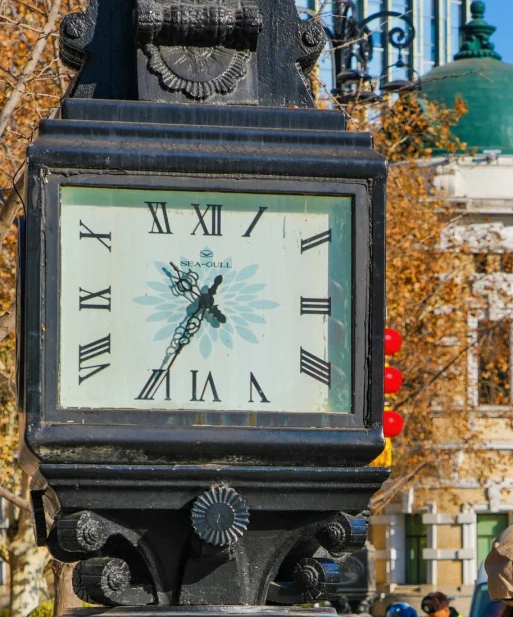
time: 4:34
